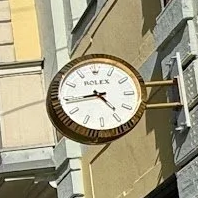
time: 4:43
